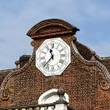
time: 11:37
